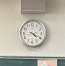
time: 4:19
